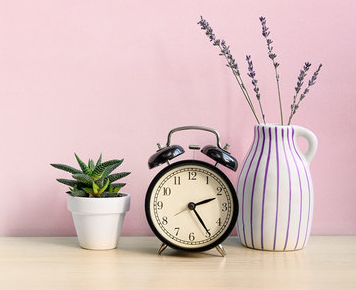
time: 2:24
